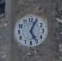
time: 5:04
